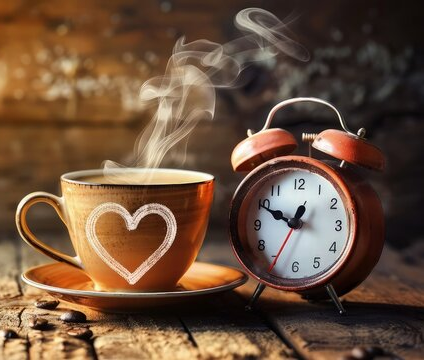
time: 12:49
